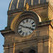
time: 3:48
